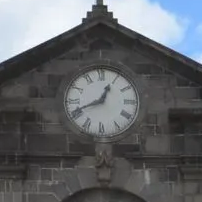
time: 12:41
